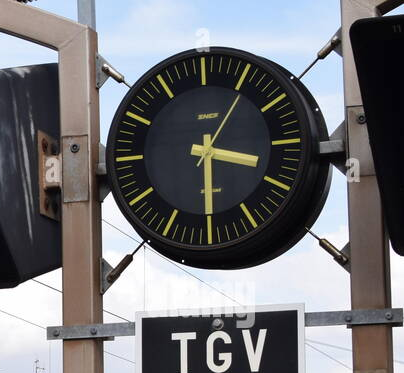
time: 3:29
